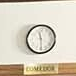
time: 11:29
